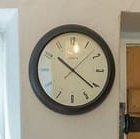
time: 10:21
